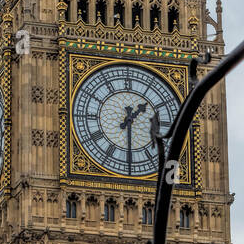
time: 1:29
